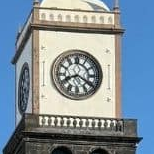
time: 8:20
